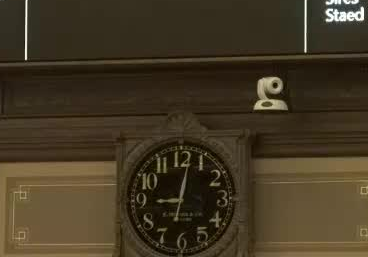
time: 9:01
